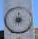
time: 9:01
